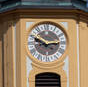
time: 2:48
